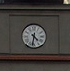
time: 4:31
